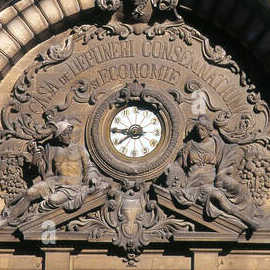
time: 7:45
